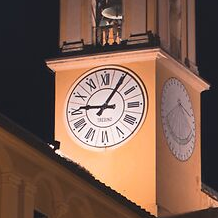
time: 9:05
